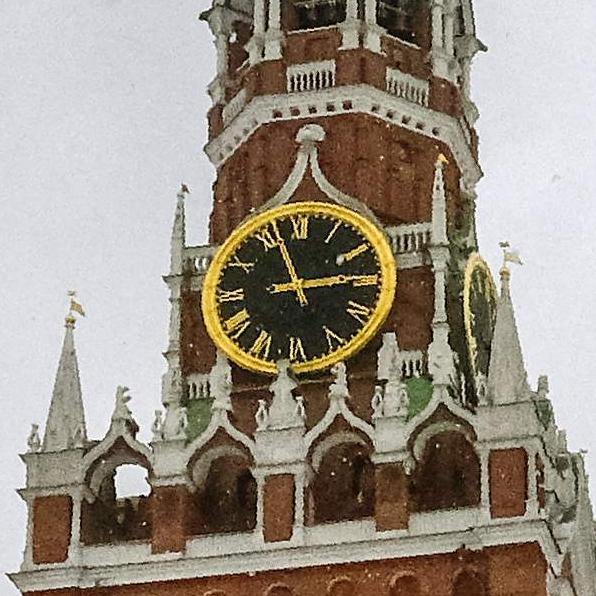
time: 2:56
